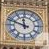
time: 11:48
